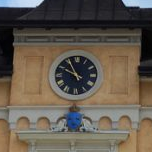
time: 9:55
